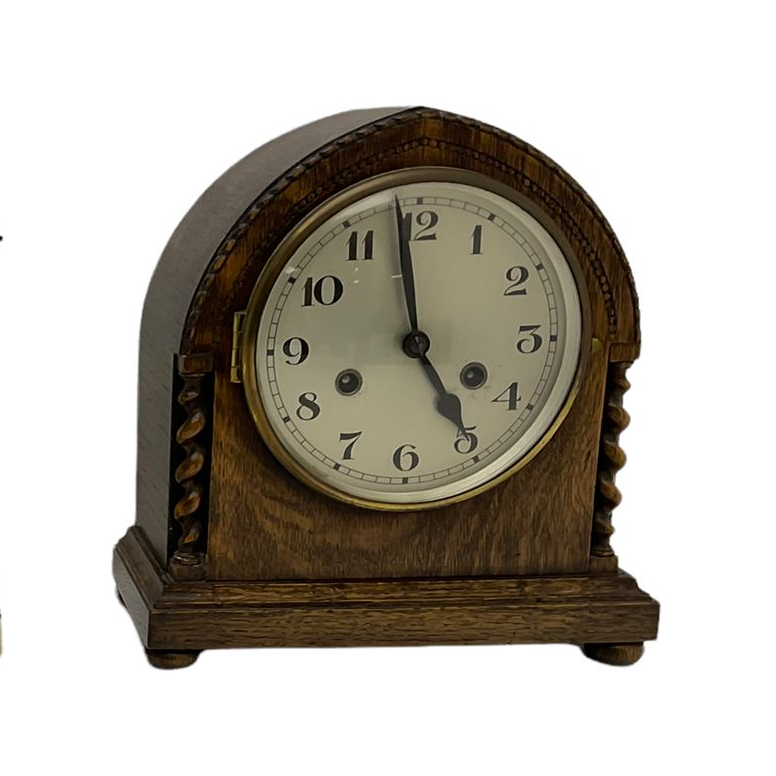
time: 4:58
